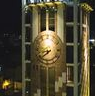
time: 8:38
